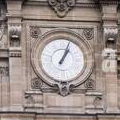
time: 1:03
